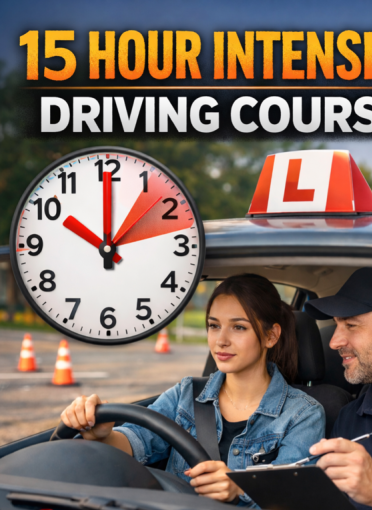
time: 10:00
